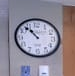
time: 10:53
